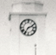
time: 7:11
